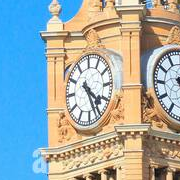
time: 4:26
